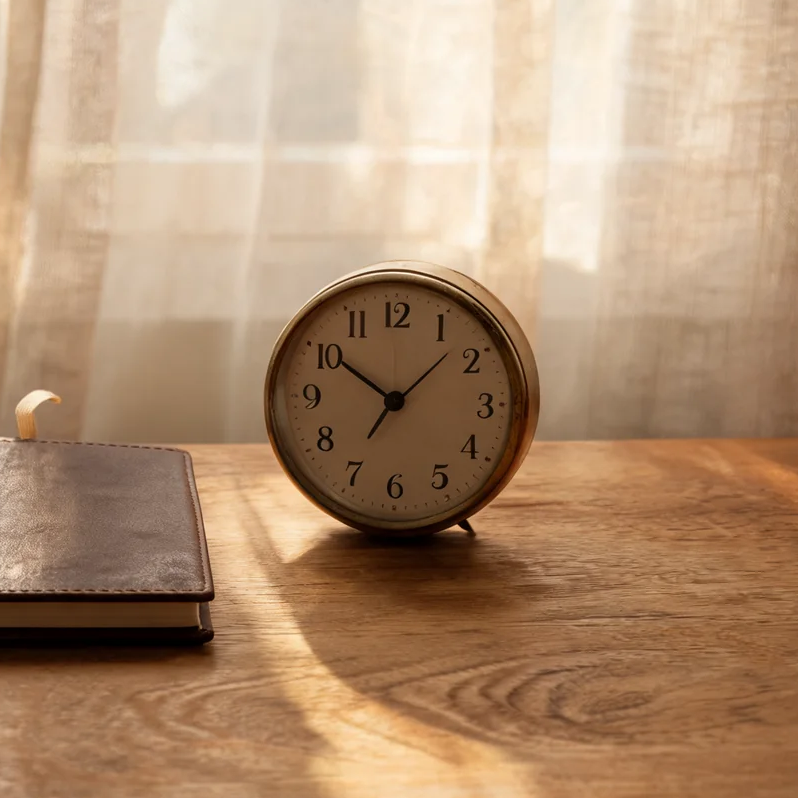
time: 10:07
